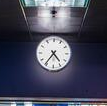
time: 4:36
